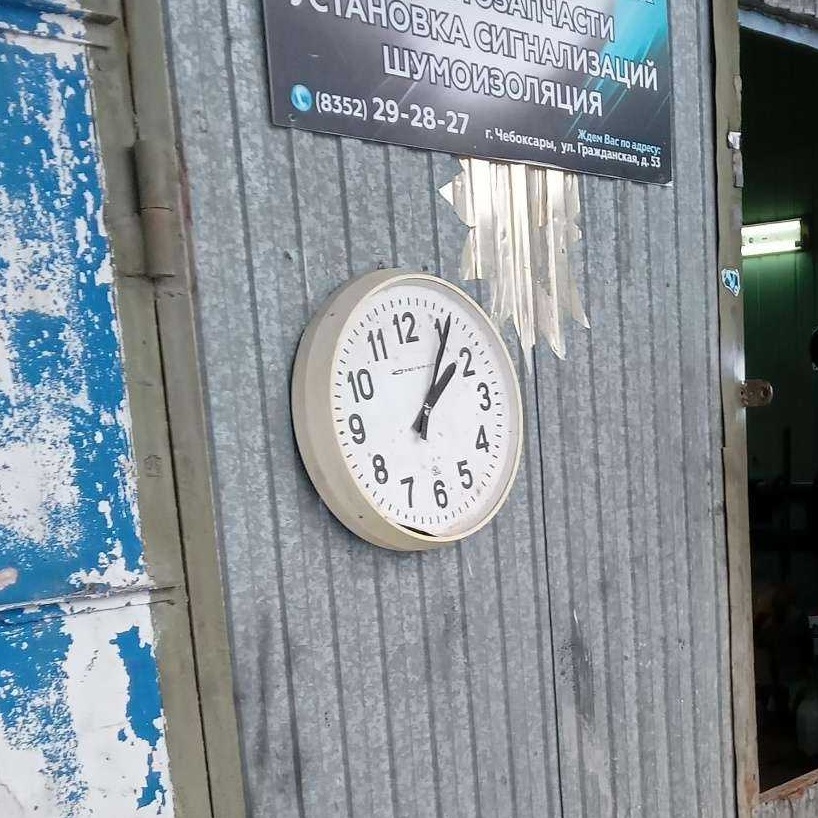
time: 2:06
